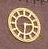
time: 6:13
